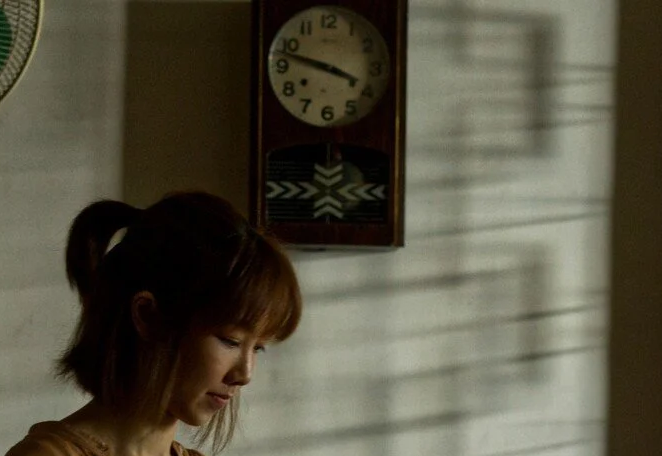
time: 3:47
